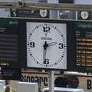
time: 2:31
